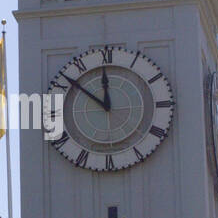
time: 11:51
